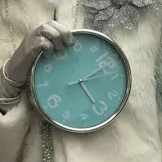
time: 5:10
